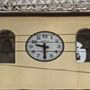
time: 9:30
